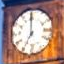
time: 7:00
